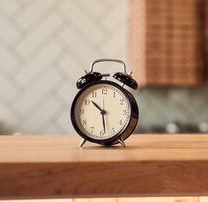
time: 10:28
